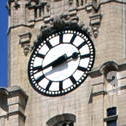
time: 2:42
